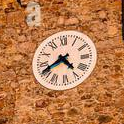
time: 4:40
